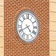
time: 4:40
